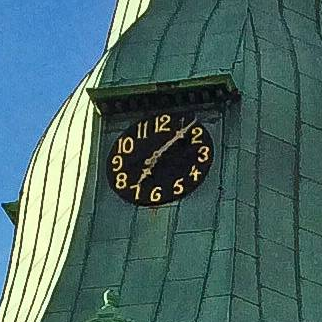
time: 7:07
